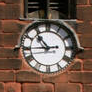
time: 10:44
